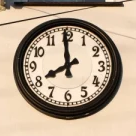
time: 7:59
